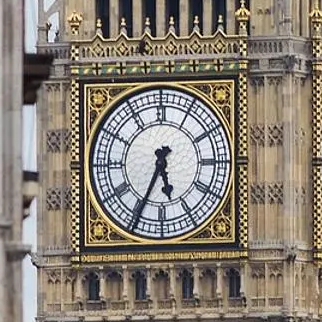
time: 5:34
